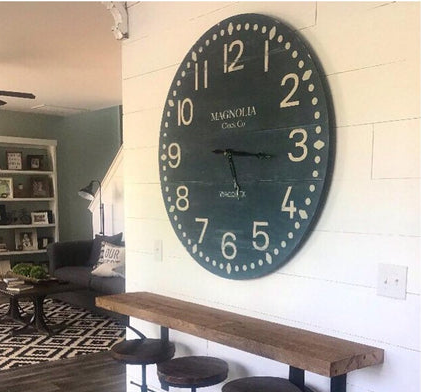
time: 5:15
